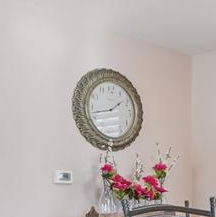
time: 1:42
